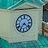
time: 7:21
